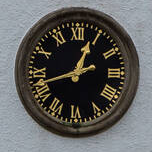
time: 12:42
